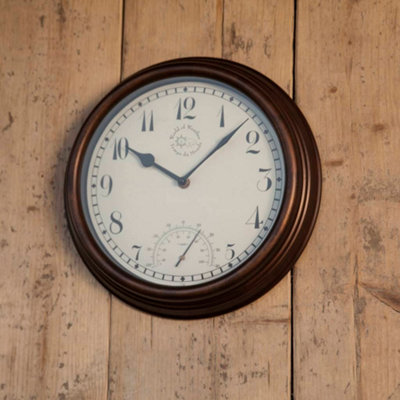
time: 10:07
